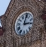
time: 12:13
